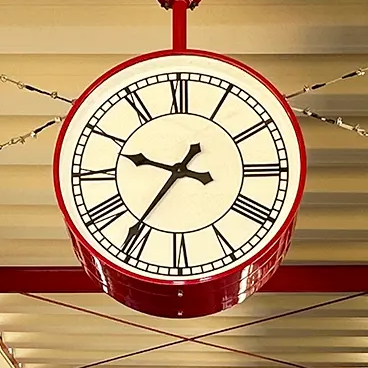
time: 9:36
